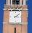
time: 3:09
